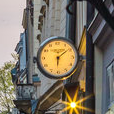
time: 6:09
